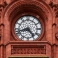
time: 4:42
